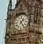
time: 1:23
